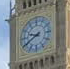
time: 9:40
